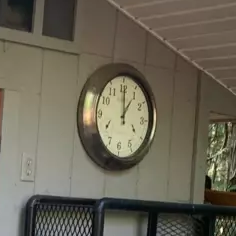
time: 1:00
